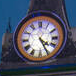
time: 4:25
